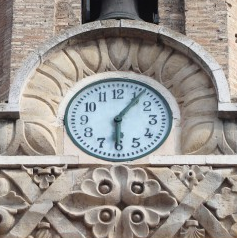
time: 6:06
